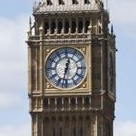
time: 12:32
